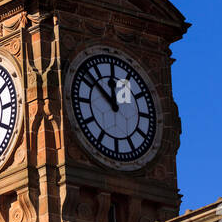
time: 11:51
